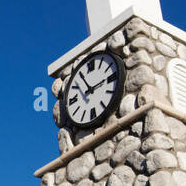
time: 11:13
